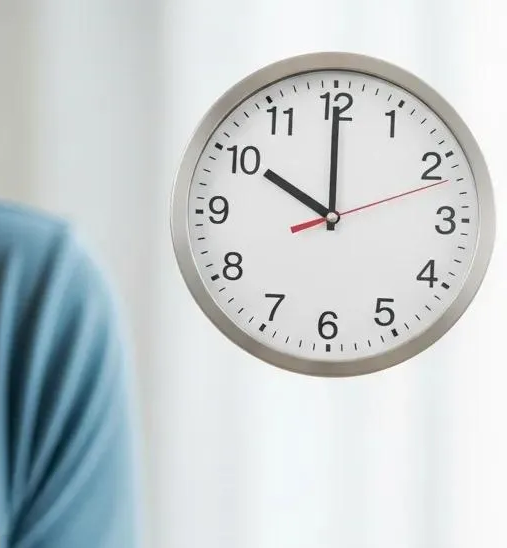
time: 10:00
